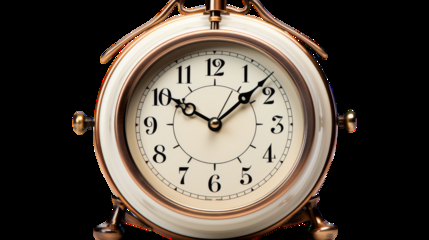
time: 10:07
